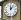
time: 12:07
